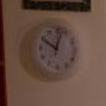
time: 10:02
